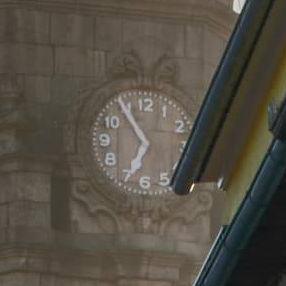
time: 6:54
